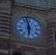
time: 5:57
